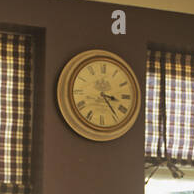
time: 3:23
